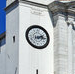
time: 2:15
